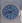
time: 9:10
